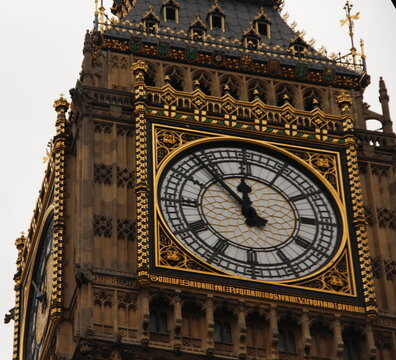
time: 11:52
